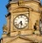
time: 5:38
